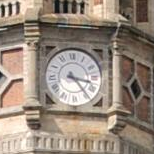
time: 3:23
